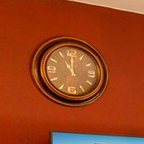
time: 11:00
